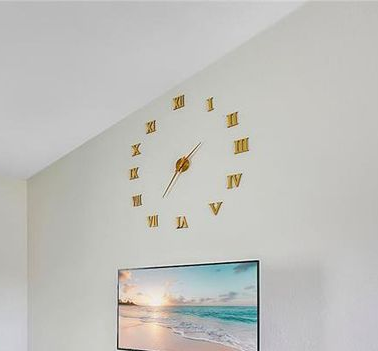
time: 1:35
